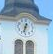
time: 12:32
